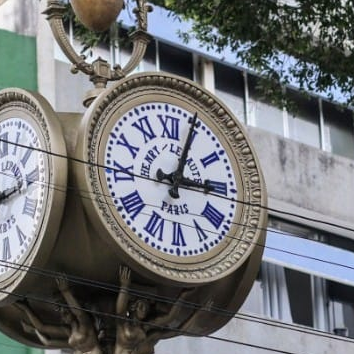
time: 3:04
